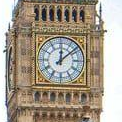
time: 12:08
